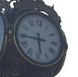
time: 5:45
